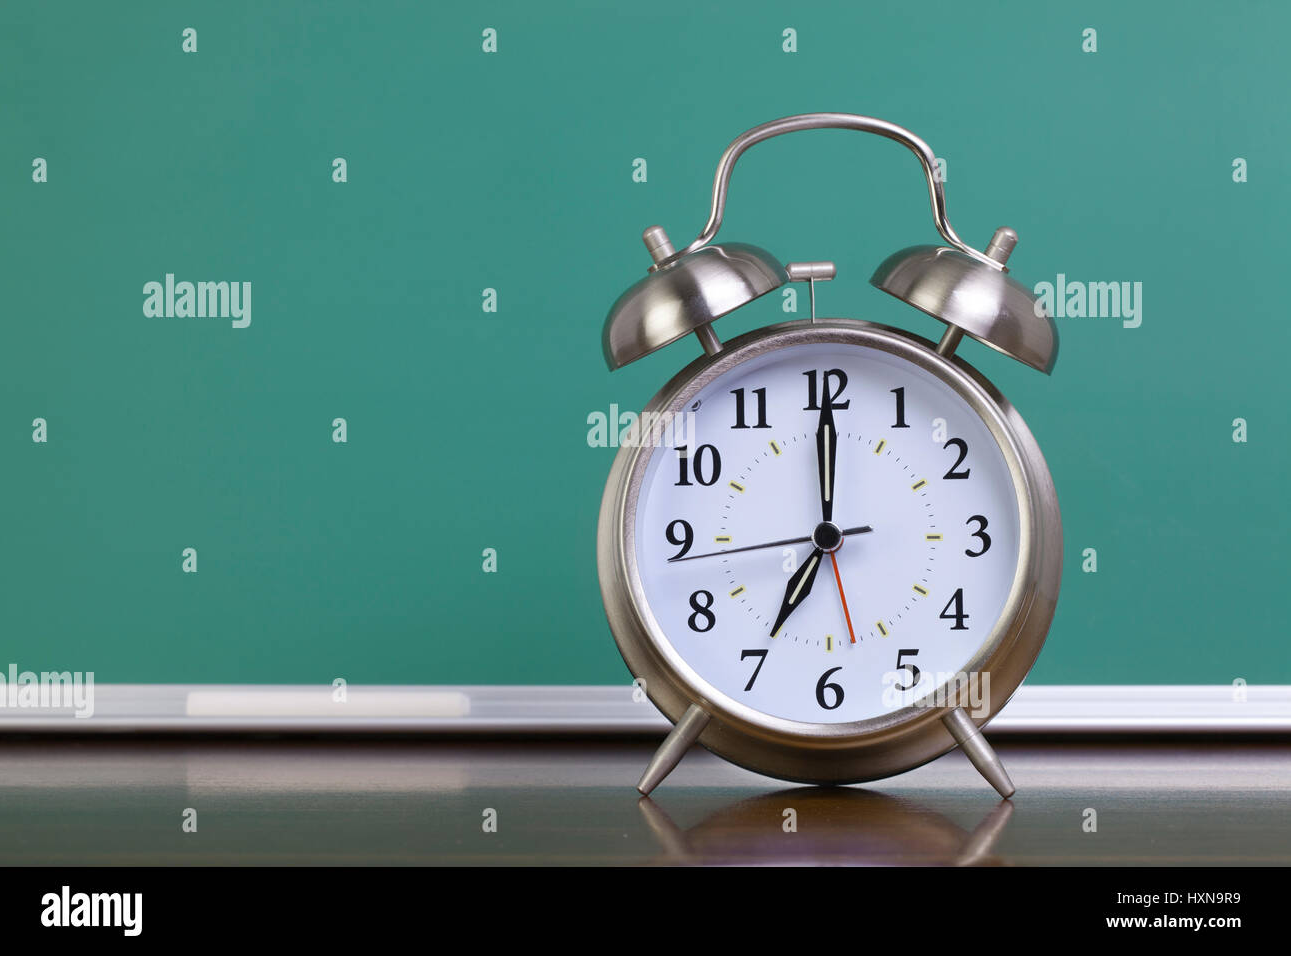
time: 7:00
